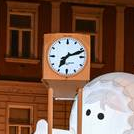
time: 7:11
